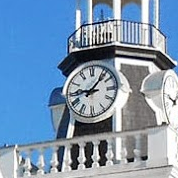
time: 9:07
